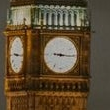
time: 9:15
